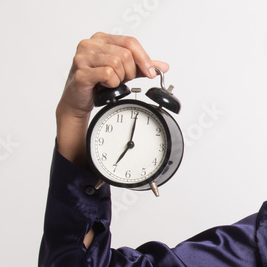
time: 7:01
